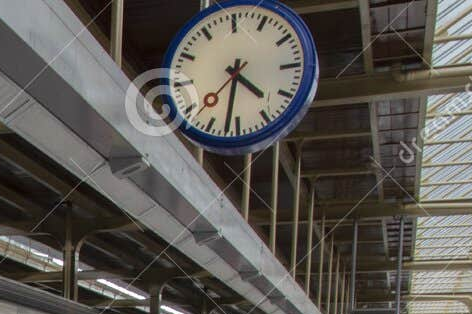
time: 4:32
